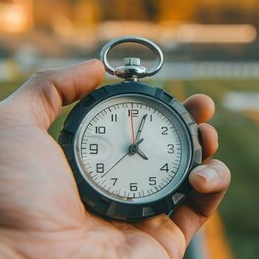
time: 4:03
